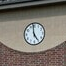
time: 4:58
